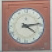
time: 4:13
